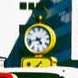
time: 4:42
